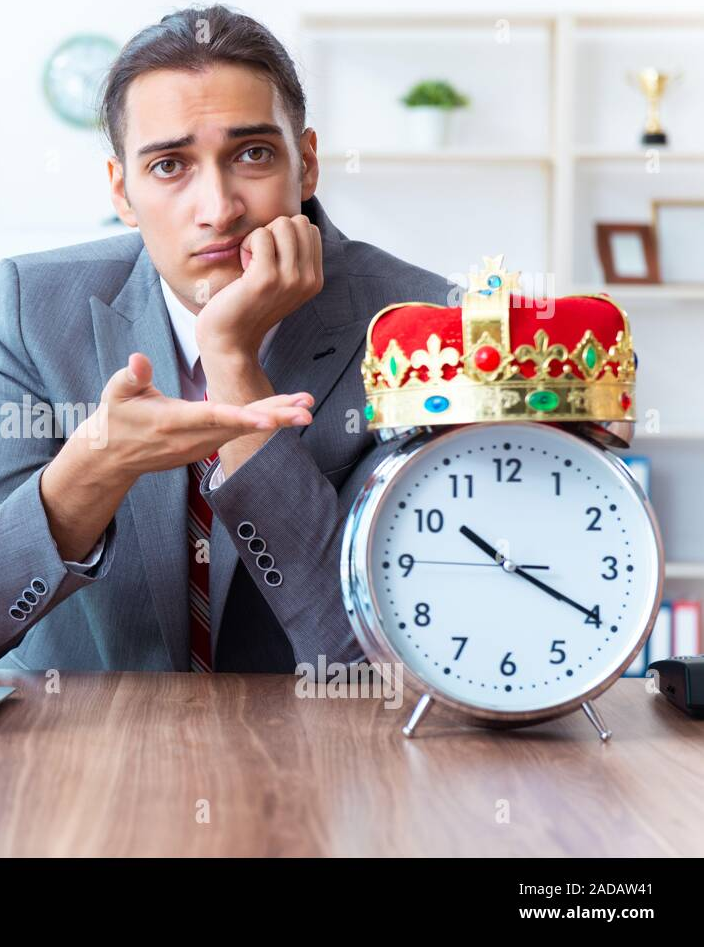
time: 10:19
